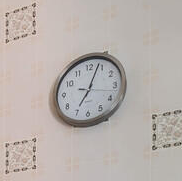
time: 7:03
